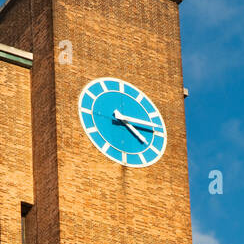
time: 4:14
